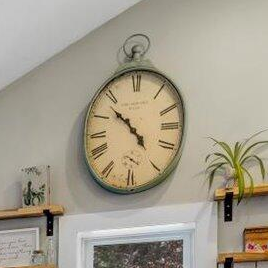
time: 4:52
